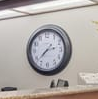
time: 2:37
